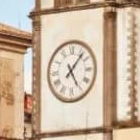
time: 5:06
